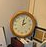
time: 2:01
